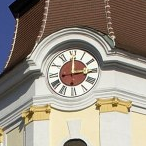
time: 3:00
